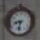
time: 8:32
